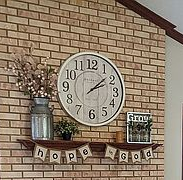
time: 2:08
